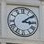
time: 3:09
